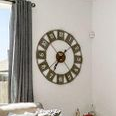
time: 7:08
